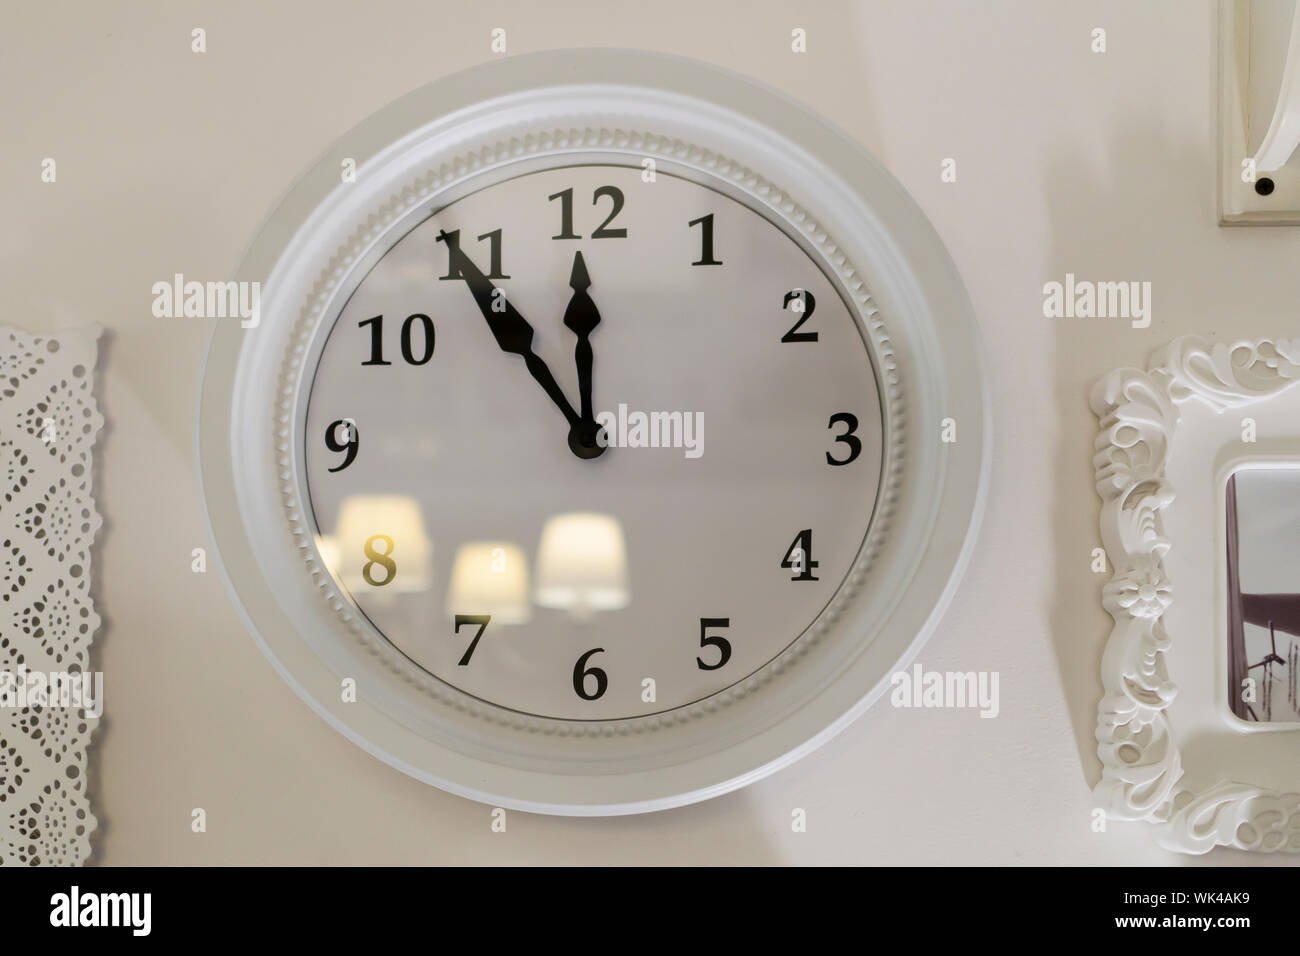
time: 11:54
